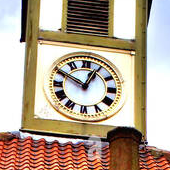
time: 12:49
